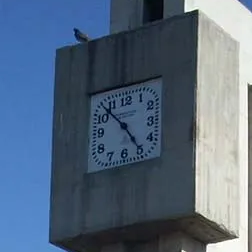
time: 4:52
